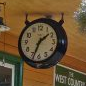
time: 1:33
